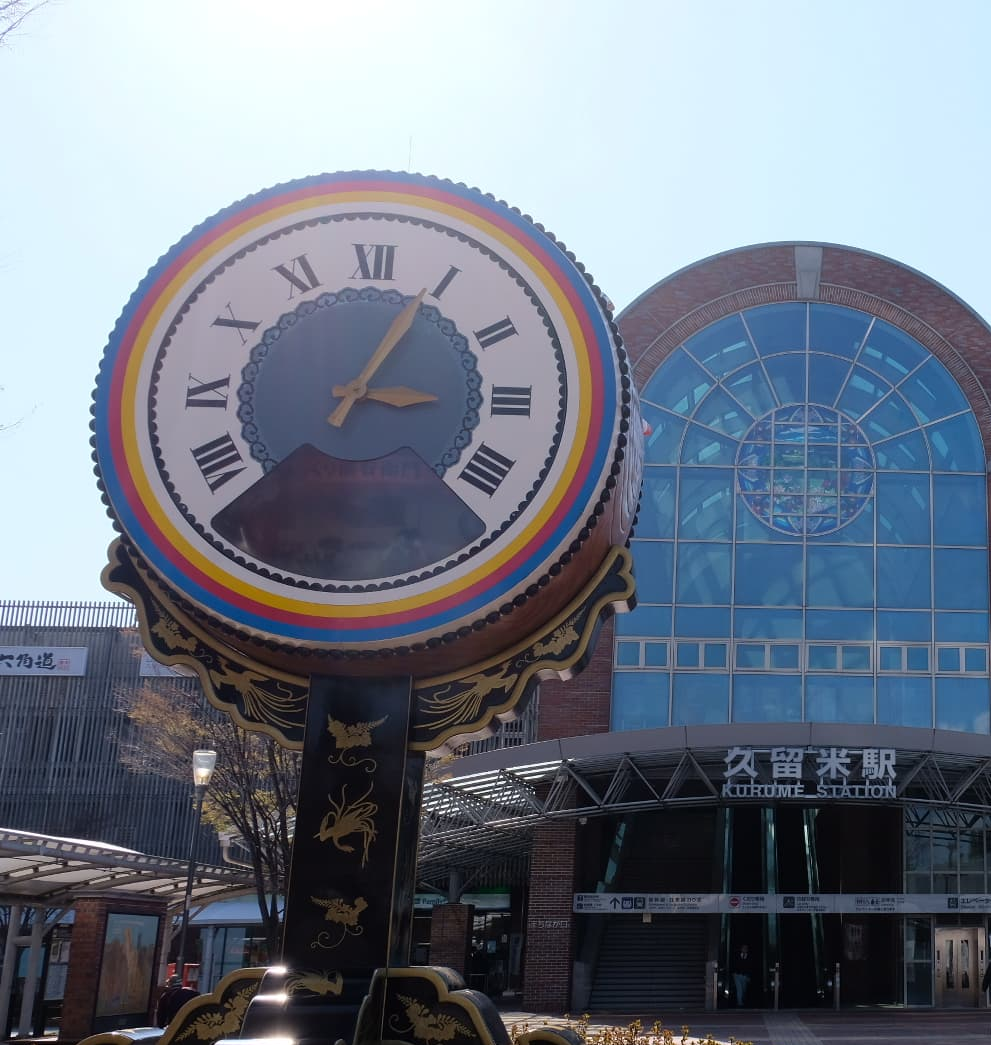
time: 3:04
